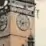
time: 7:12
